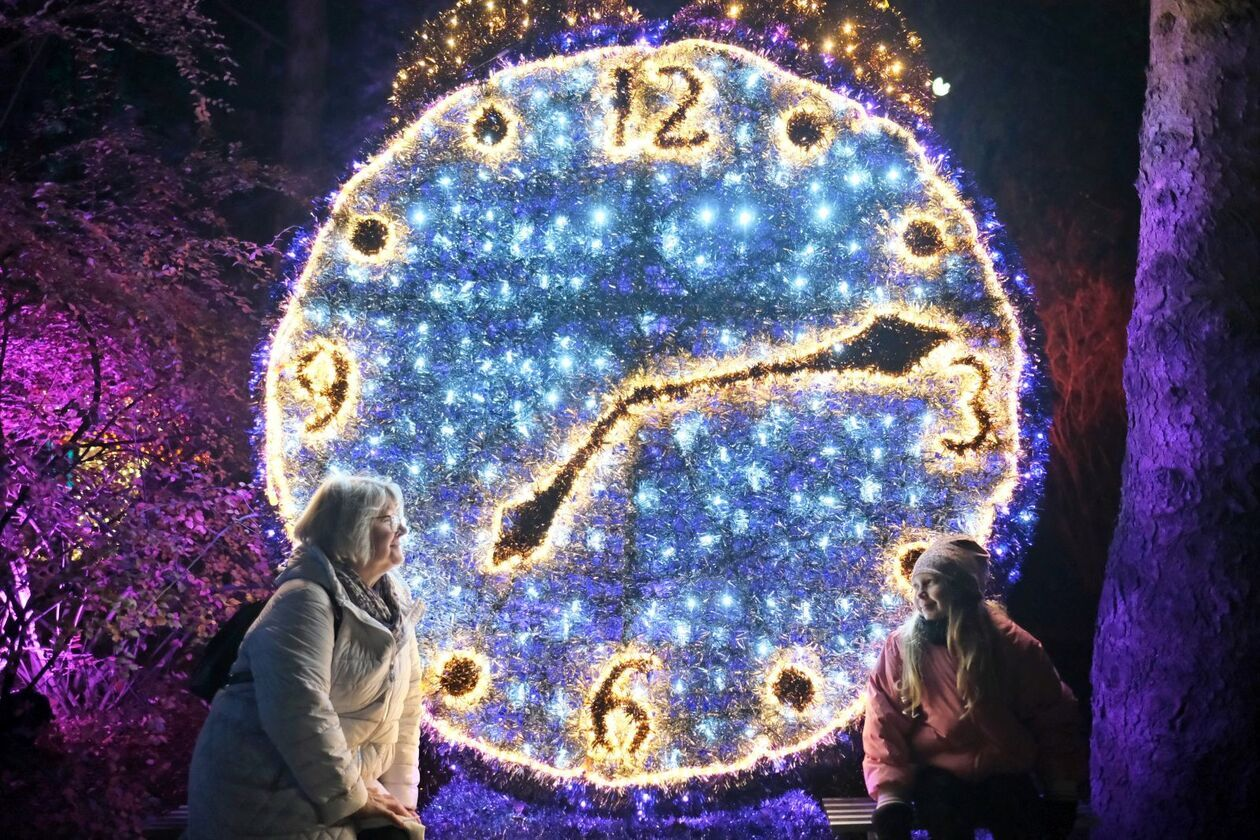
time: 7:12
